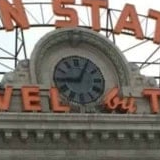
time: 9:05
